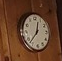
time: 12:37
